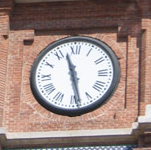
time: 11:28
